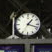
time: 1:18
